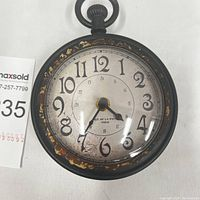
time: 4:35
